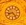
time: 8:23
